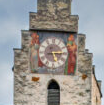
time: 5:14
